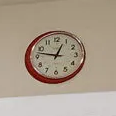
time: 12:47
